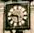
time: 9:28
